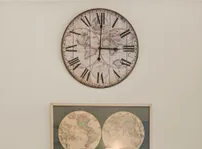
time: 3:00
